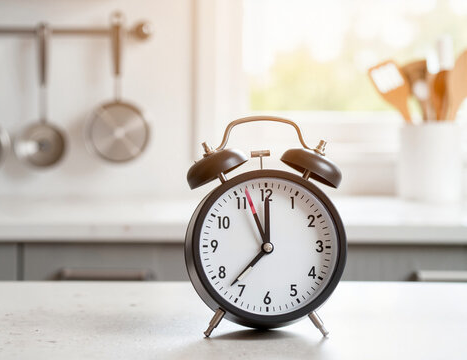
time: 11:37
